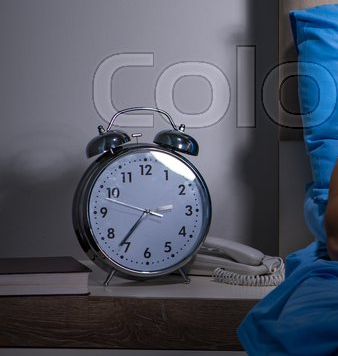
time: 3:36
